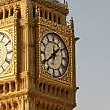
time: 1:40
